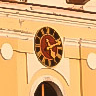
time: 11:11
